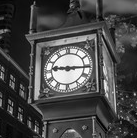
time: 9:15
